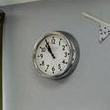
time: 10:55
